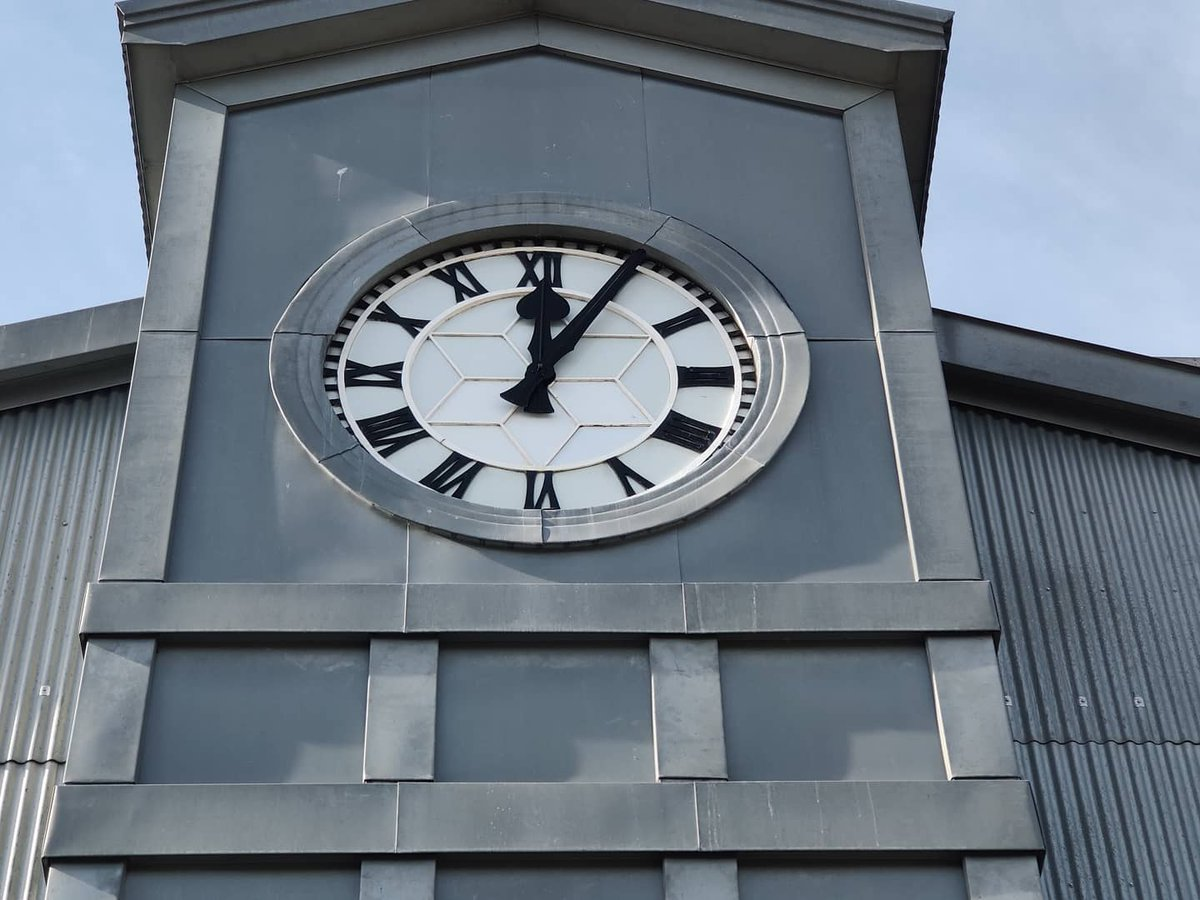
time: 12:04
